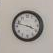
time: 3:47
